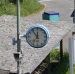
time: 11:53
